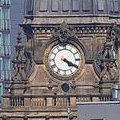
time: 4:19
